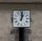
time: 1:01
